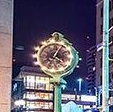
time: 4:04
